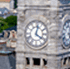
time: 4:02
